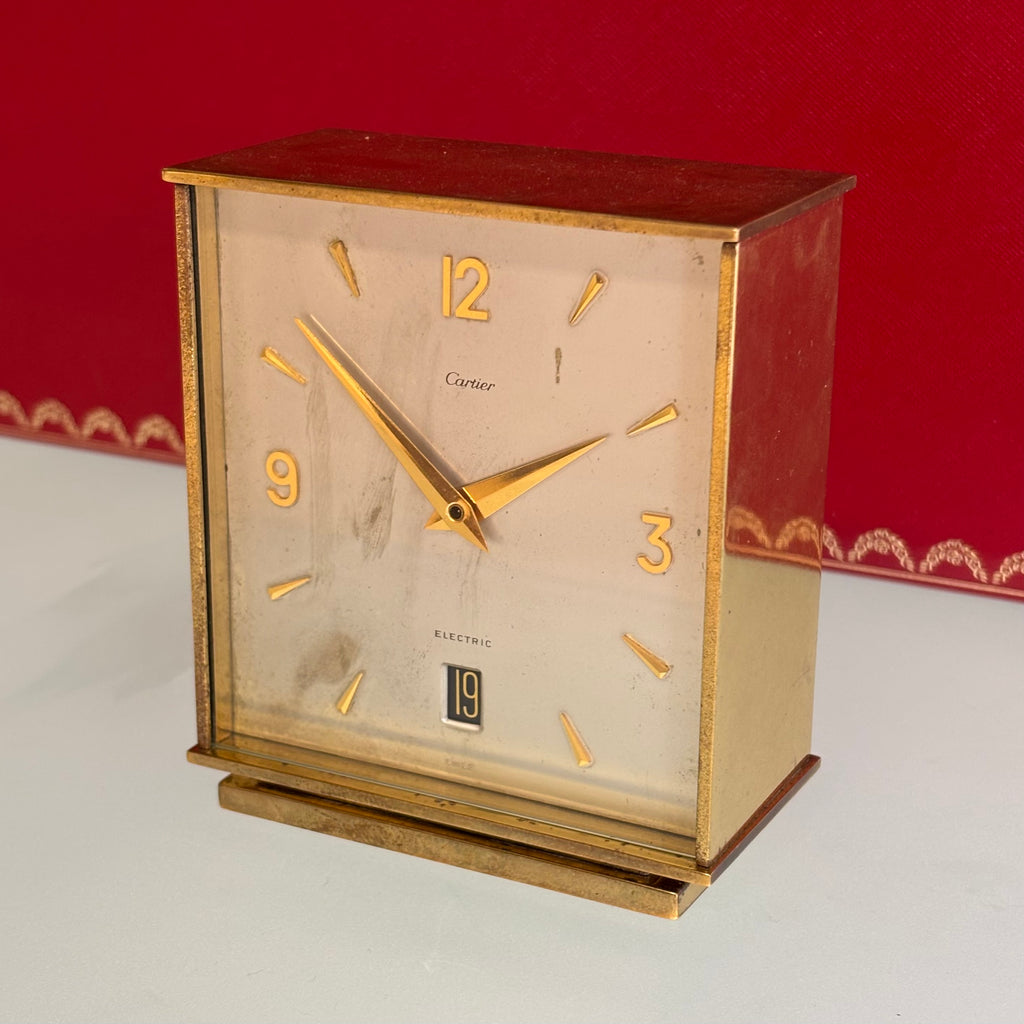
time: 1:51
